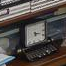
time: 5:18
